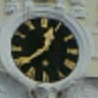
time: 12:38
